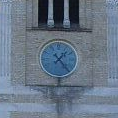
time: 1:23
